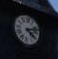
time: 4:12
